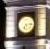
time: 7:13
